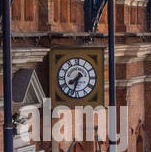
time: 7:32
